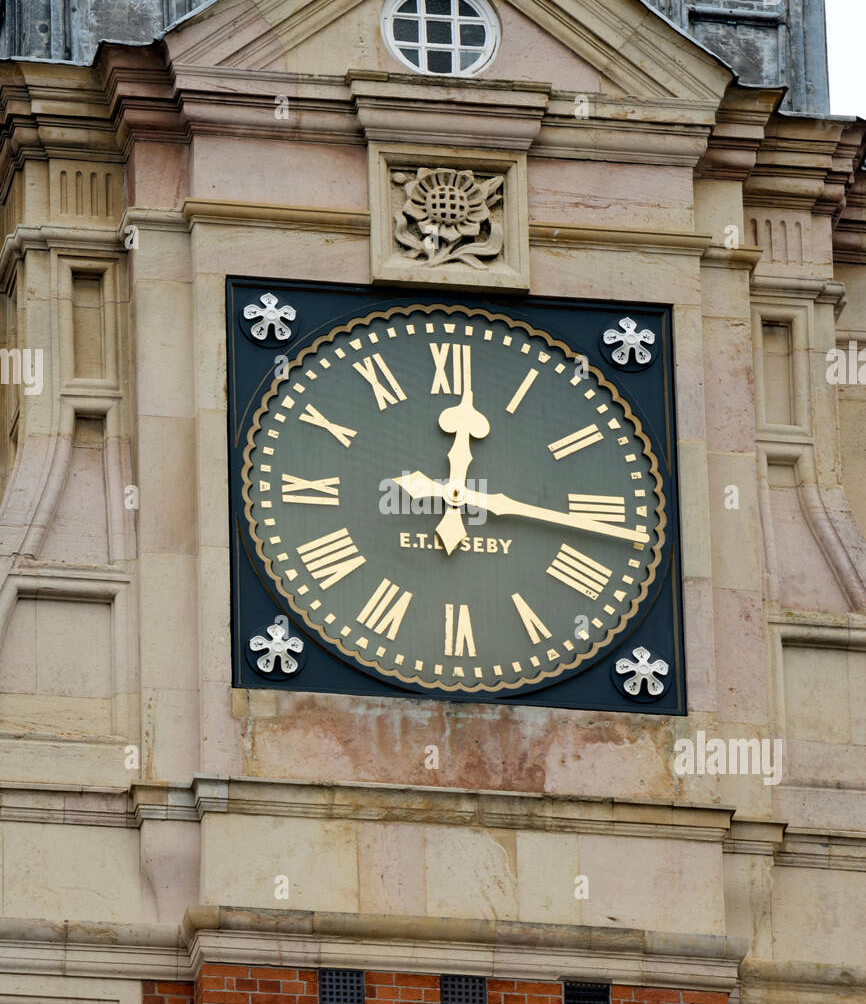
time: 12:16
